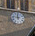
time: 11:46
